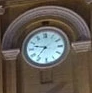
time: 9:36
